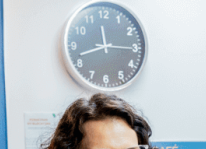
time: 11:42
